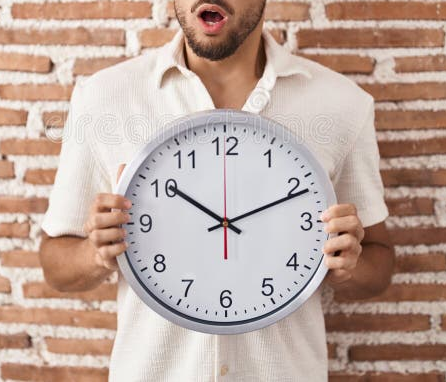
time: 10:11
